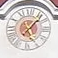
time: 5:06
